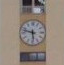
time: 5:47
